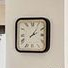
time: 2:06
